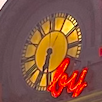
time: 6:35
